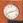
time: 8:12
